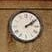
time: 2:09
